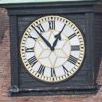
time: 12:53
